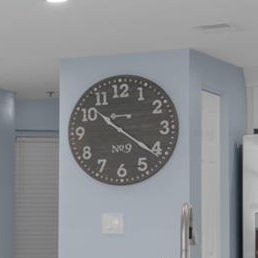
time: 10:21
